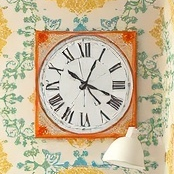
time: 10:18
